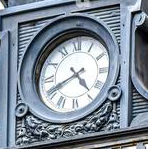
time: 4:40
